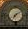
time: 7:09
